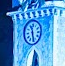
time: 11:28
